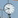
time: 9:42
